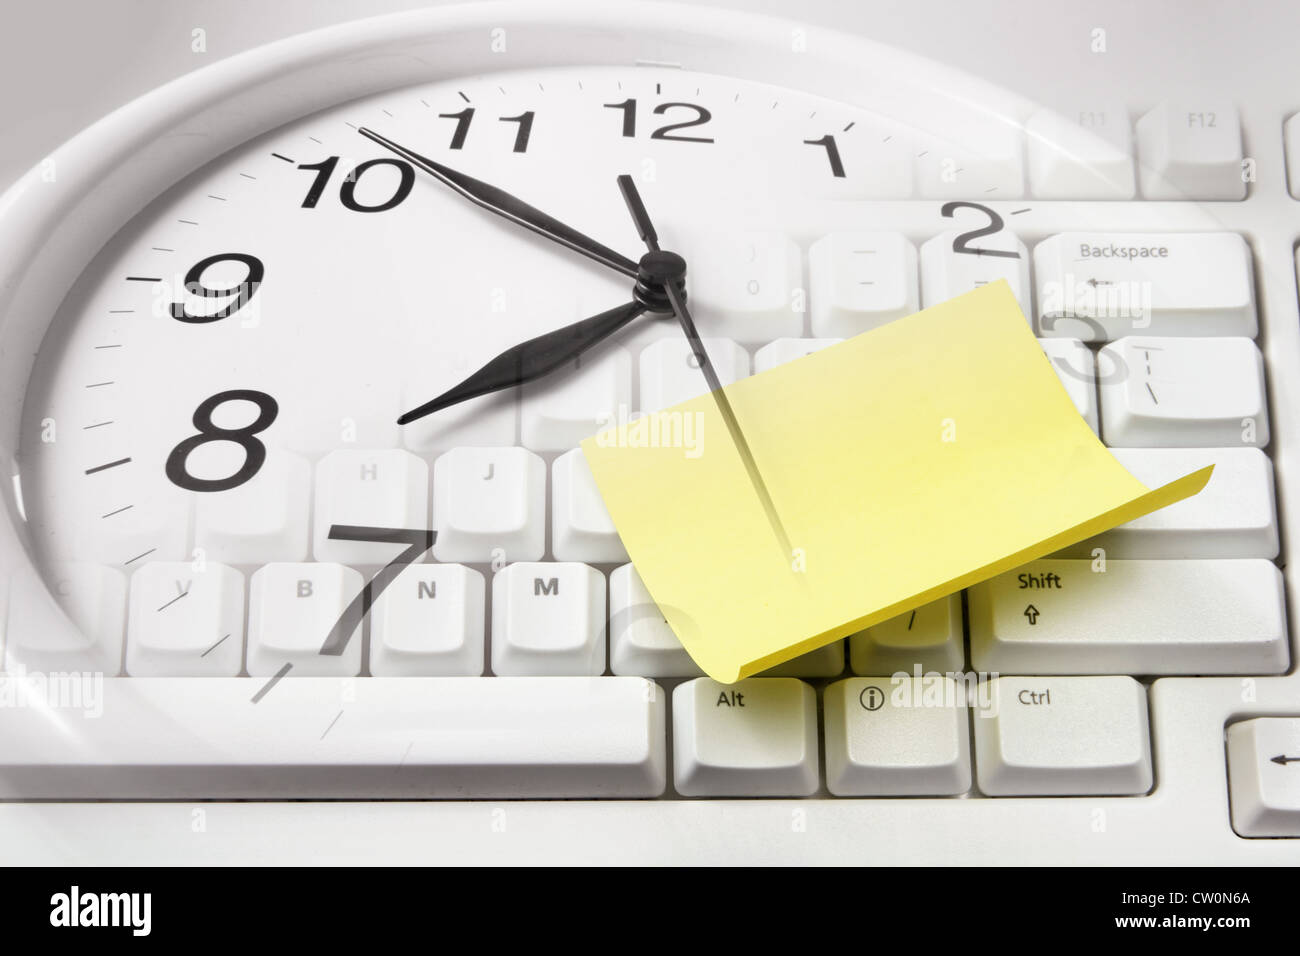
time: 7:51
